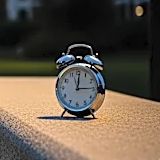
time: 12:14
